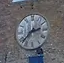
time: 2:37
